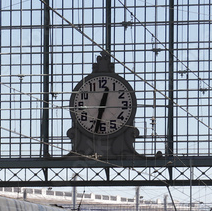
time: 12:32
